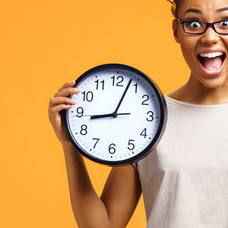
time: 9:03
